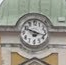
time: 3:48
